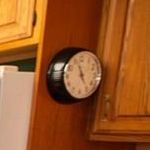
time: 4:57
